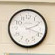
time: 2:18
